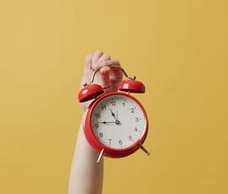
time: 11:46
